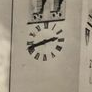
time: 2:42
